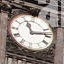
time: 11:13
